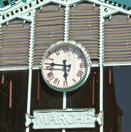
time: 5:46
